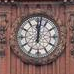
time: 12:01
